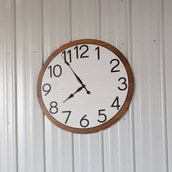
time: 7:54
